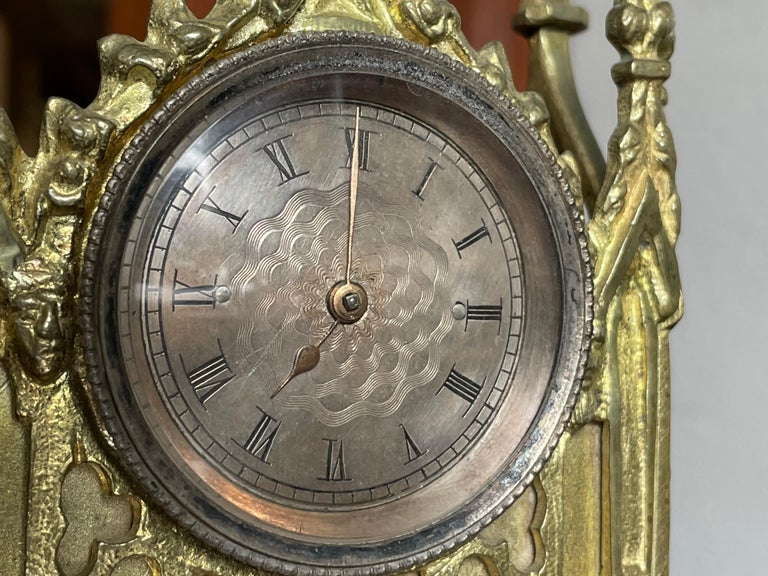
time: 6:59
